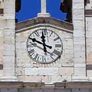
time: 11:49
